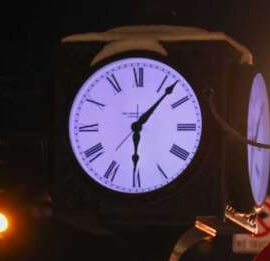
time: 6:06
